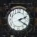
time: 2:21
